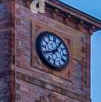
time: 8:06
